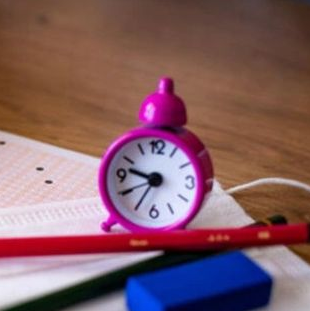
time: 9:35
